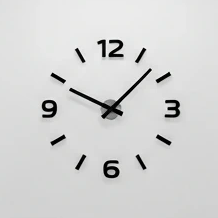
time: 10:07
